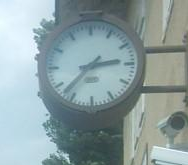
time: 2:37
